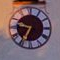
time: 9:34
